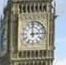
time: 2:59
